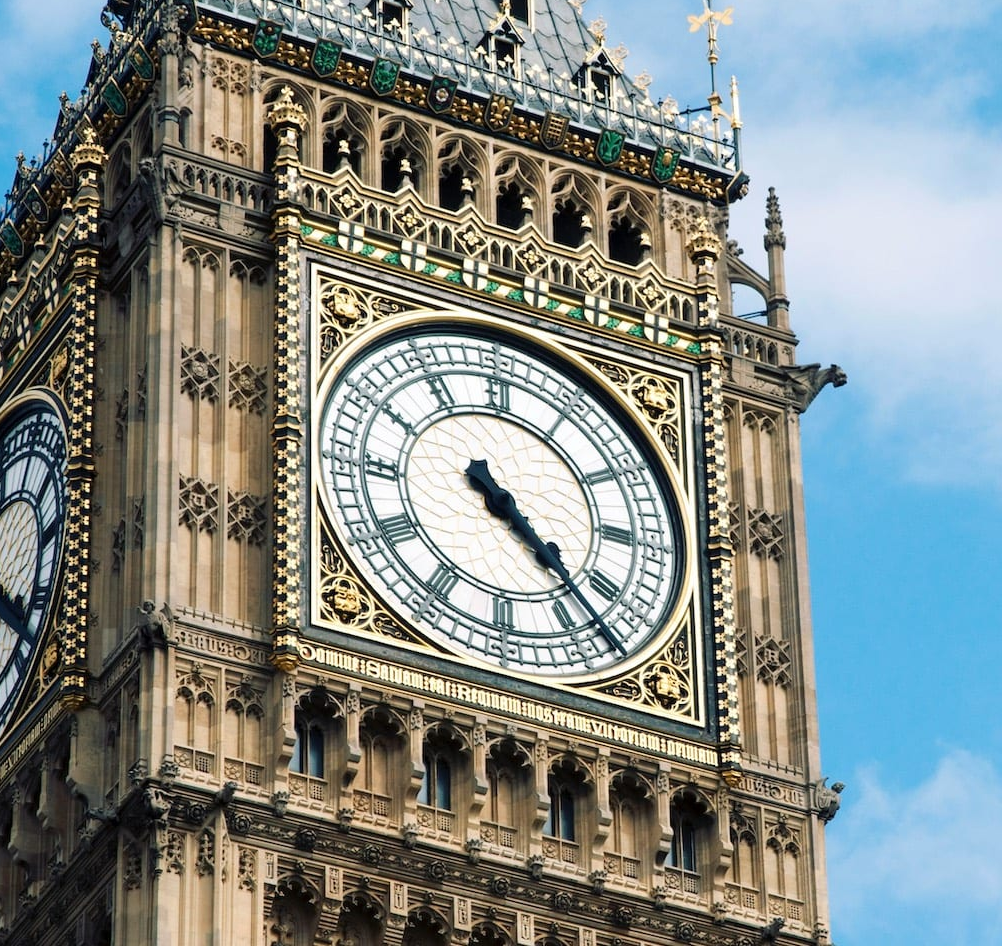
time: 4:22
